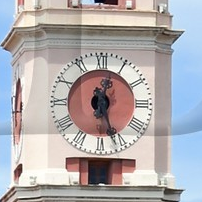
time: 12:26
